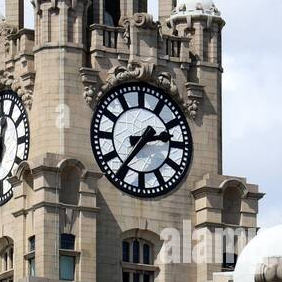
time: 2:36
